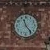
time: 11:23
